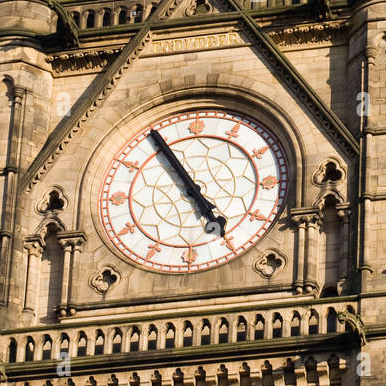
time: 4:54
